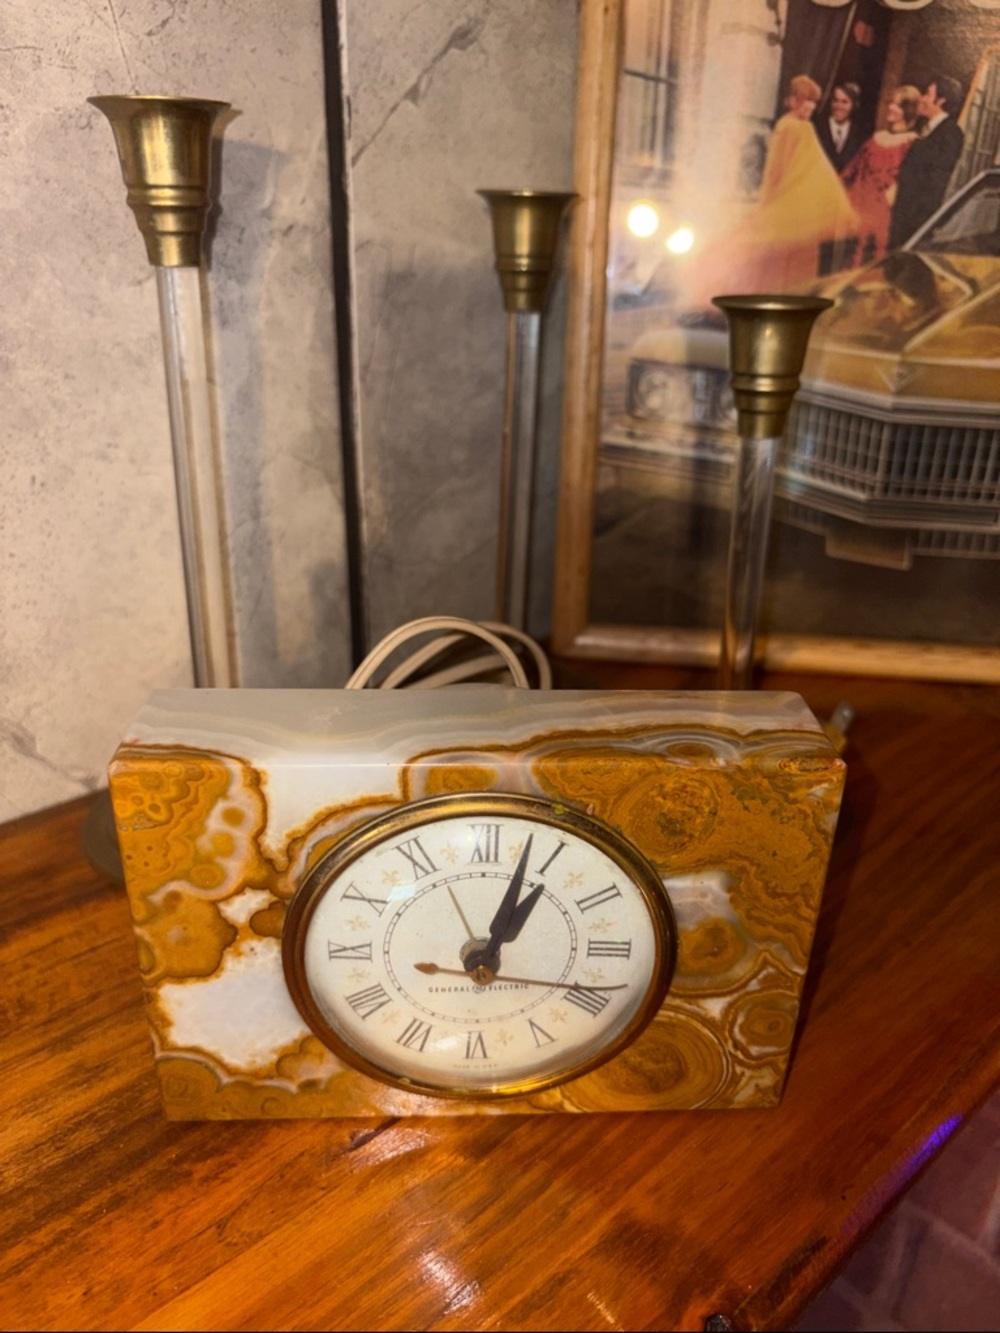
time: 1:02
